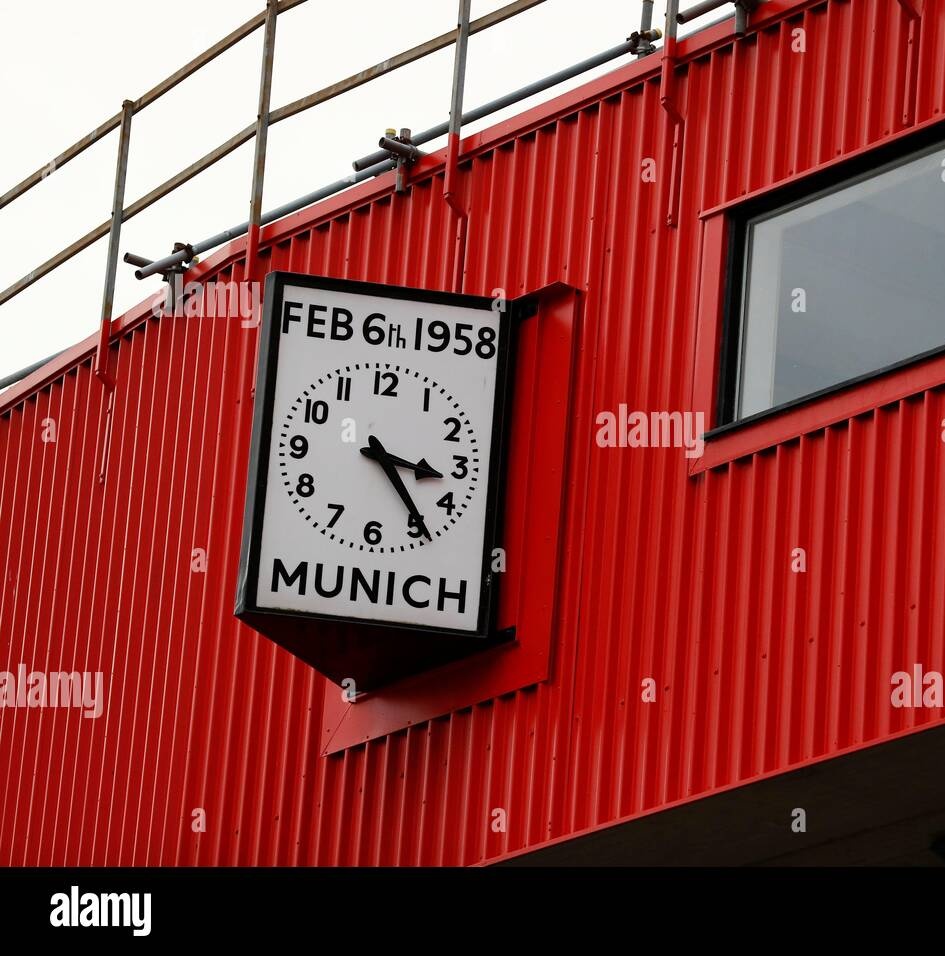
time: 3:22
